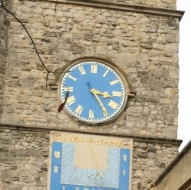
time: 3:24
